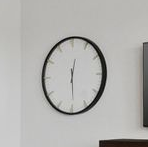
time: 12:29
